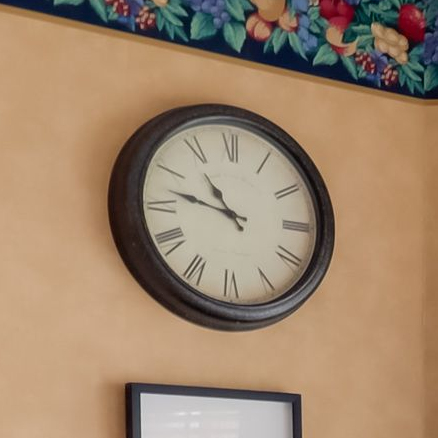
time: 10:47
